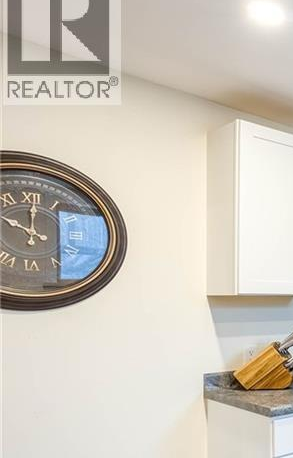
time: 10:00
